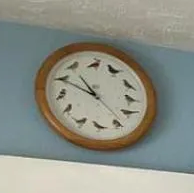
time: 10:49
